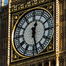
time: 12:28
